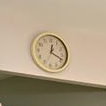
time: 12:18
